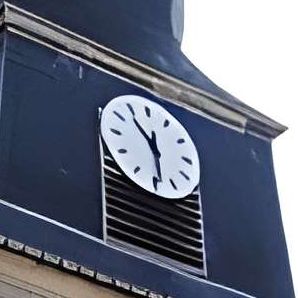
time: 10:28
